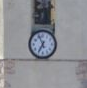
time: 6:56
